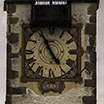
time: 4:55
